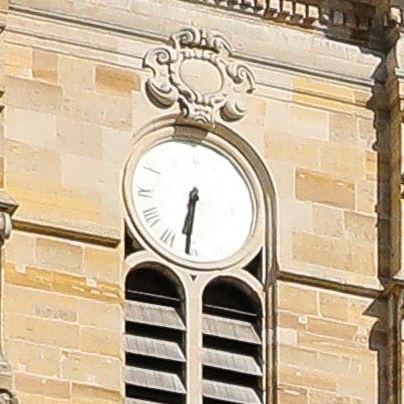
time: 6:31
